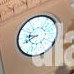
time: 8:40
